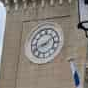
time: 8:09
